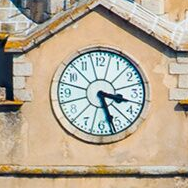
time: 3:27
